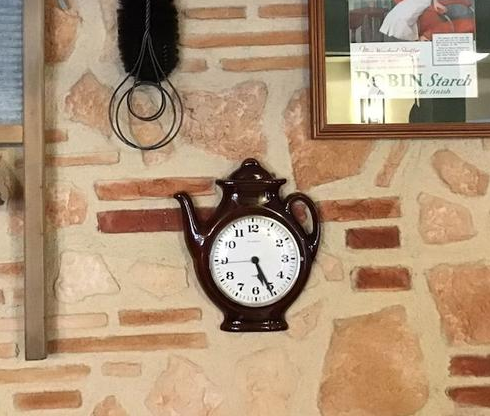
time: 5:25
